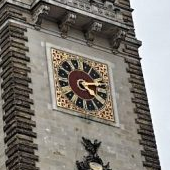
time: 4:12
